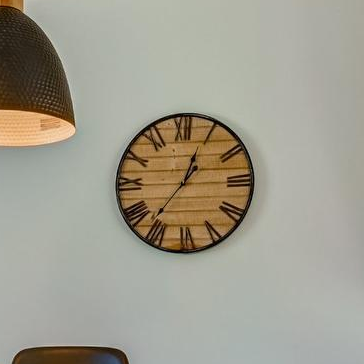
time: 12:36
